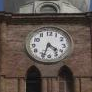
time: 4:33
